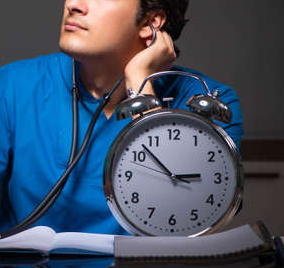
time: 2:52
